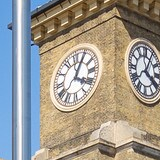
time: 4:04
